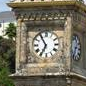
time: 6:54
